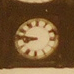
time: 8:47
